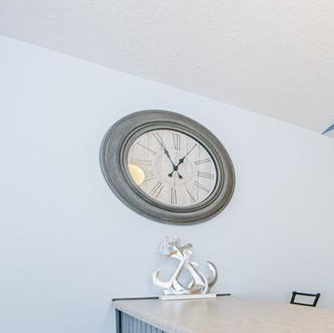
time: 12:55
